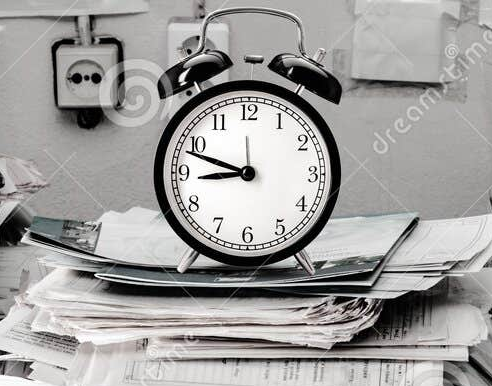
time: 8:48
